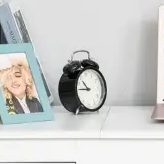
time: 10:45
